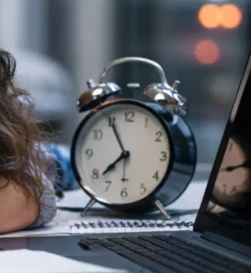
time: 7:55
